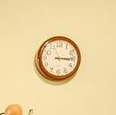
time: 3:14
